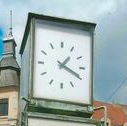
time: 1:19
